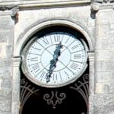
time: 12:32
